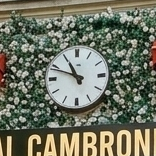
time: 10:48
